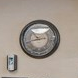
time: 10:42
